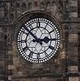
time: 2:52
